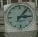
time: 3:06
